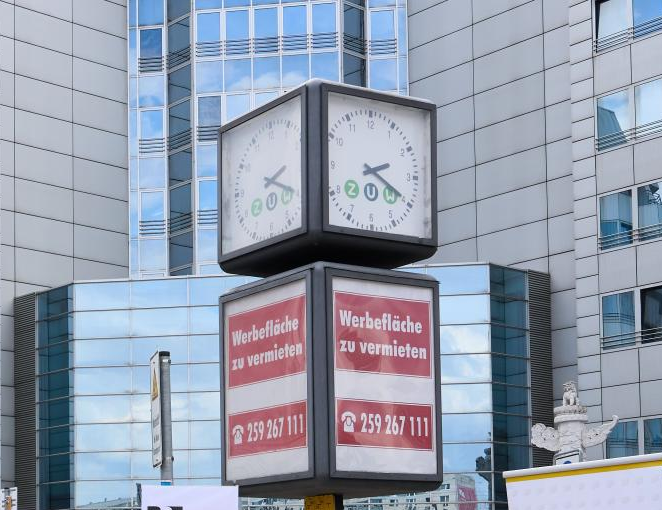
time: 2:19
